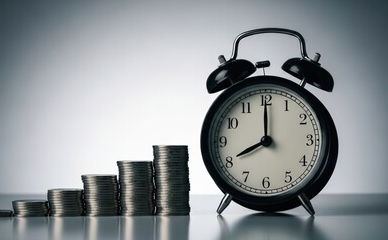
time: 8:00
